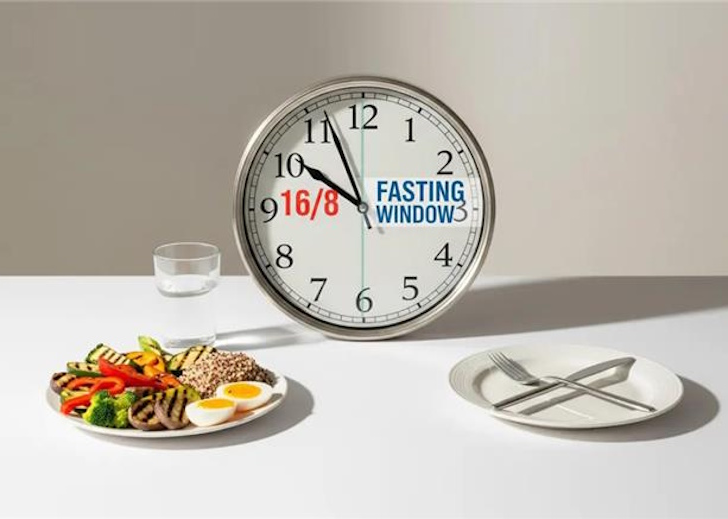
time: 9:56
